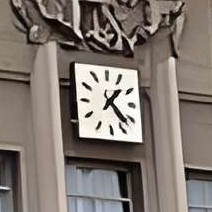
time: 1:22
